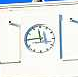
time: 11:45
